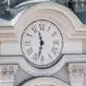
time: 11:32
